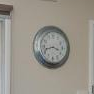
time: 3:42
